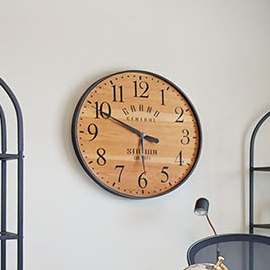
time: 5:49
